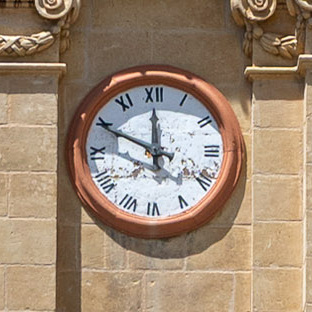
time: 11:49
